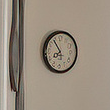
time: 7:54
